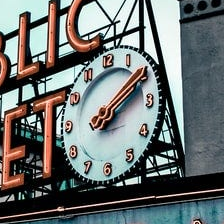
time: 2:09
